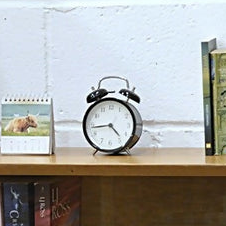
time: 4:43
